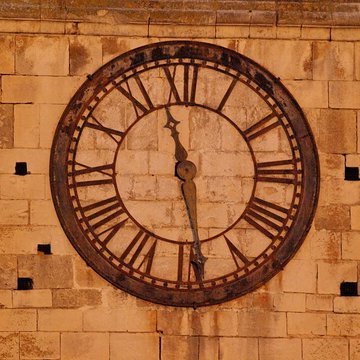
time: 11:28
